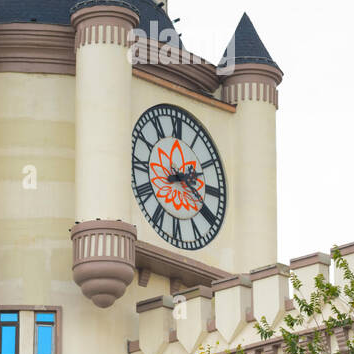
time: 2:18
